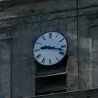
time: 9:17
